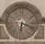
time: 6:18
